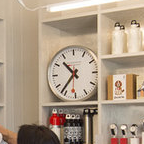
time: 10:36
